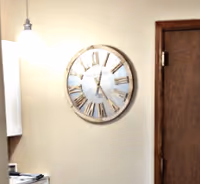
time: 5:03
